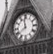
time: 7:58
